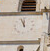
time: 11:56
